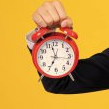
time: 6:57
